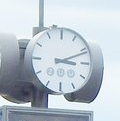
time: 3:11
